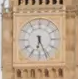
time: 6:26
